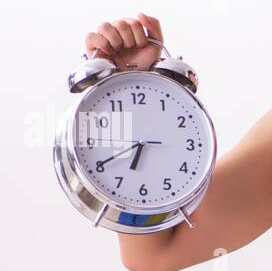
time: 6:40
